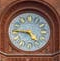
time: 4:44
